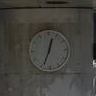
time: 12:34
